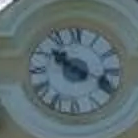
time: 10:18
